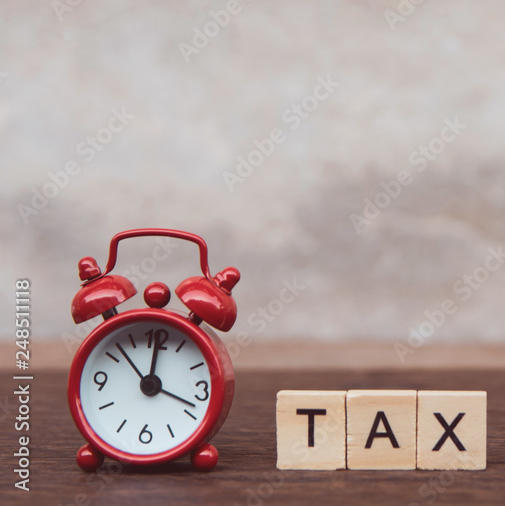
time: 12:18
